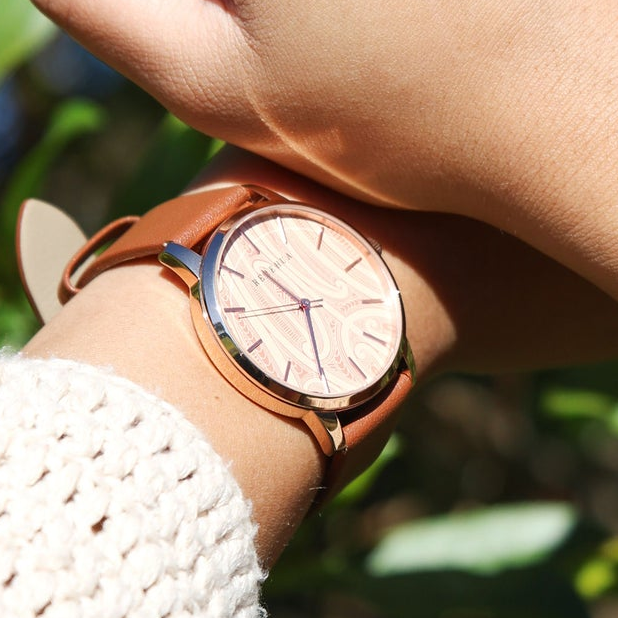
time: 10:30
